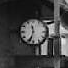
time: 11:33
